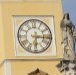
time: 6:15
